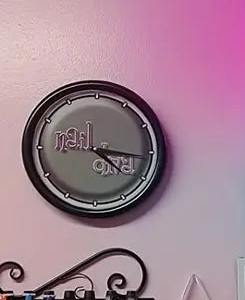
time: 4:15
